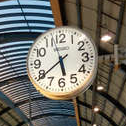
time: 5:39
